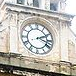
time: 2:18
